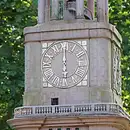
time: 6:00
